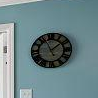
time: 1:56
